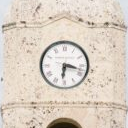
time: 6:17
